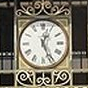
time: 12:26
